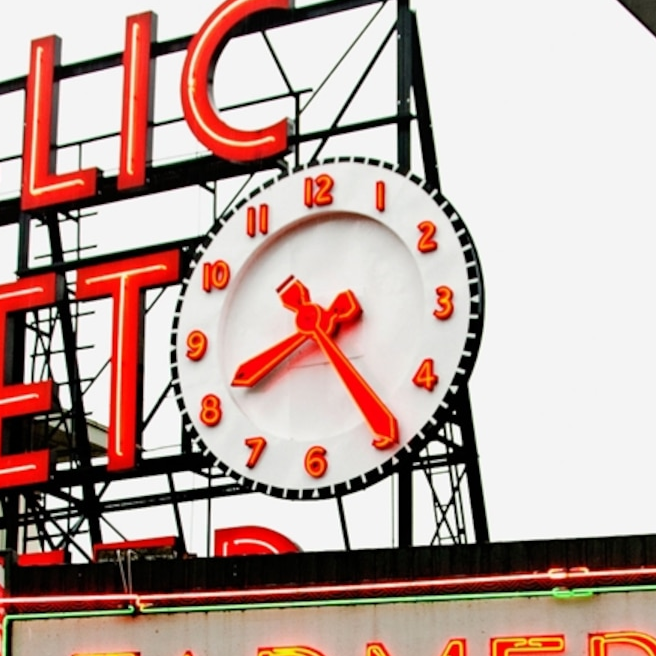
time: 8:24
